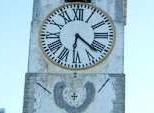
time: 6:21
